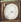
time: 3:38
